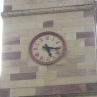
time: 5:16
